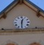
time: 12:30
